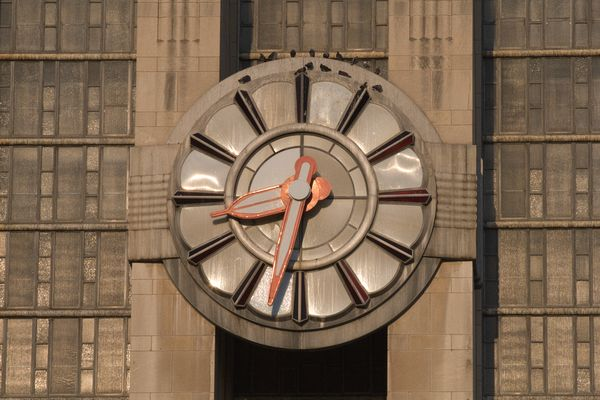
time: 8:32
